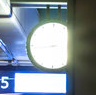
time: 8:43
